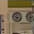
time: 9:36
